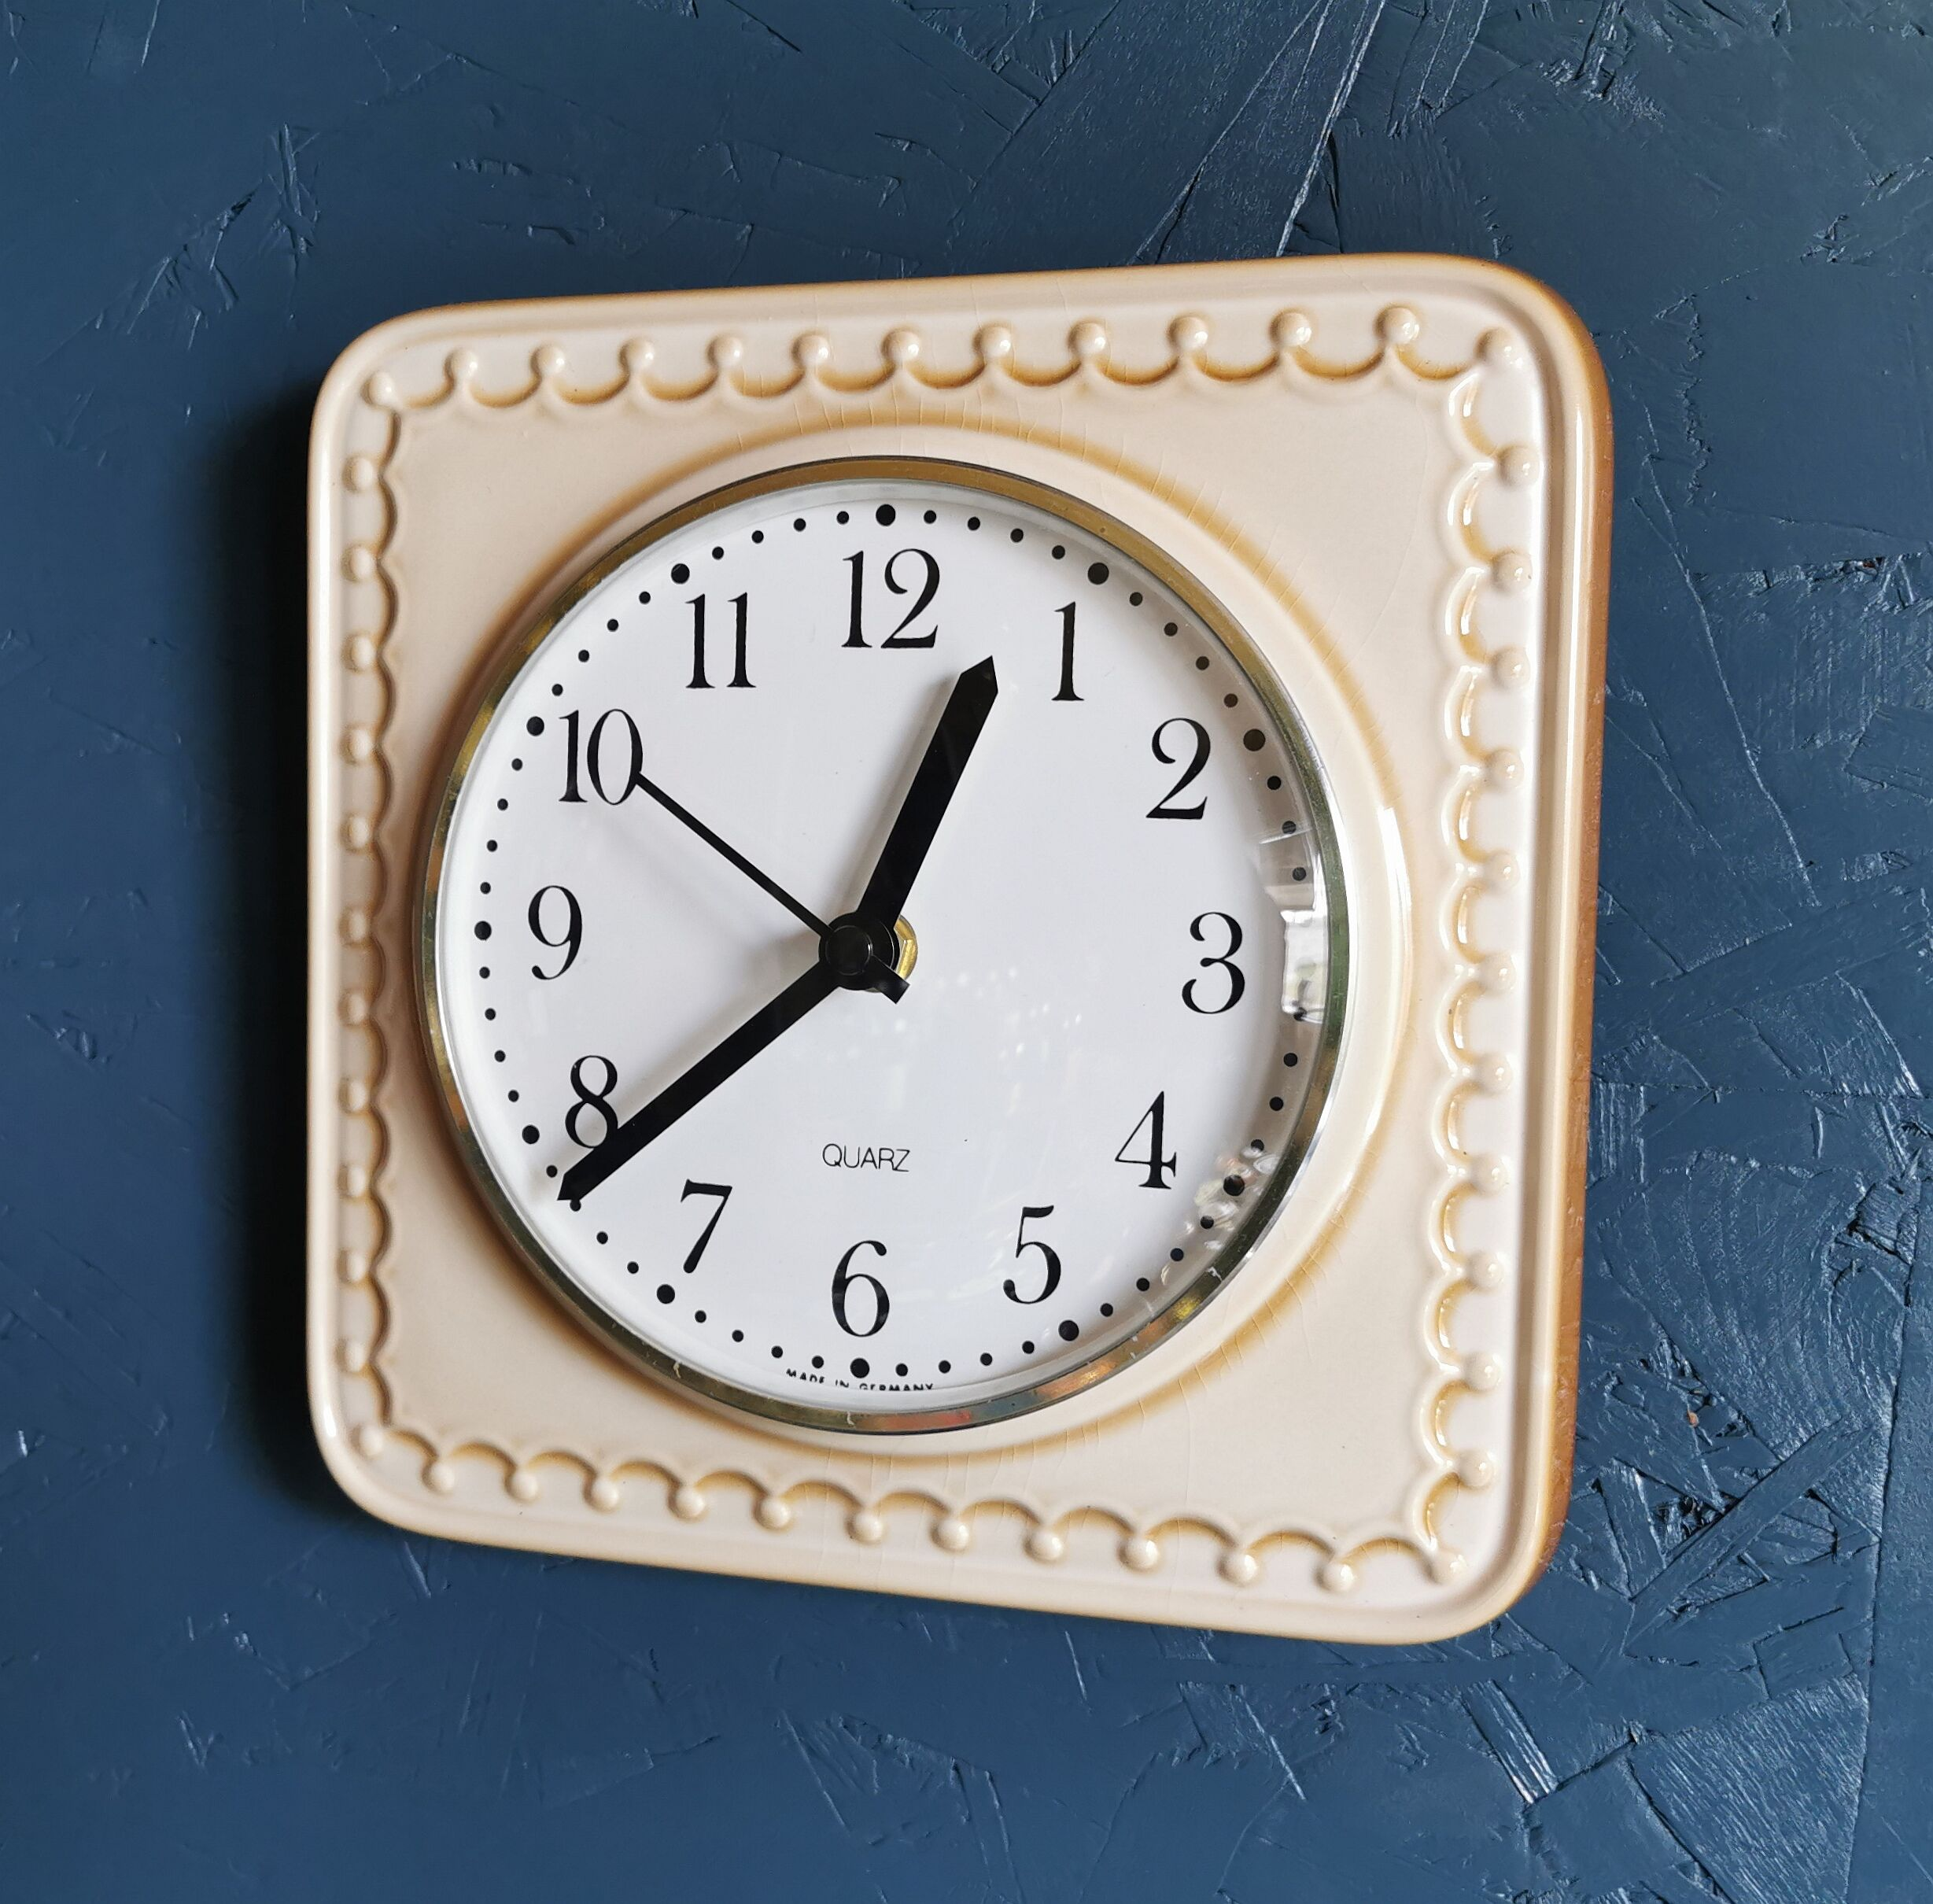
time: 12:38
